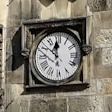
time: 11:59
